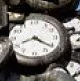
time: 8:21
